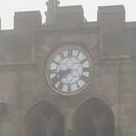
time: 8:38
